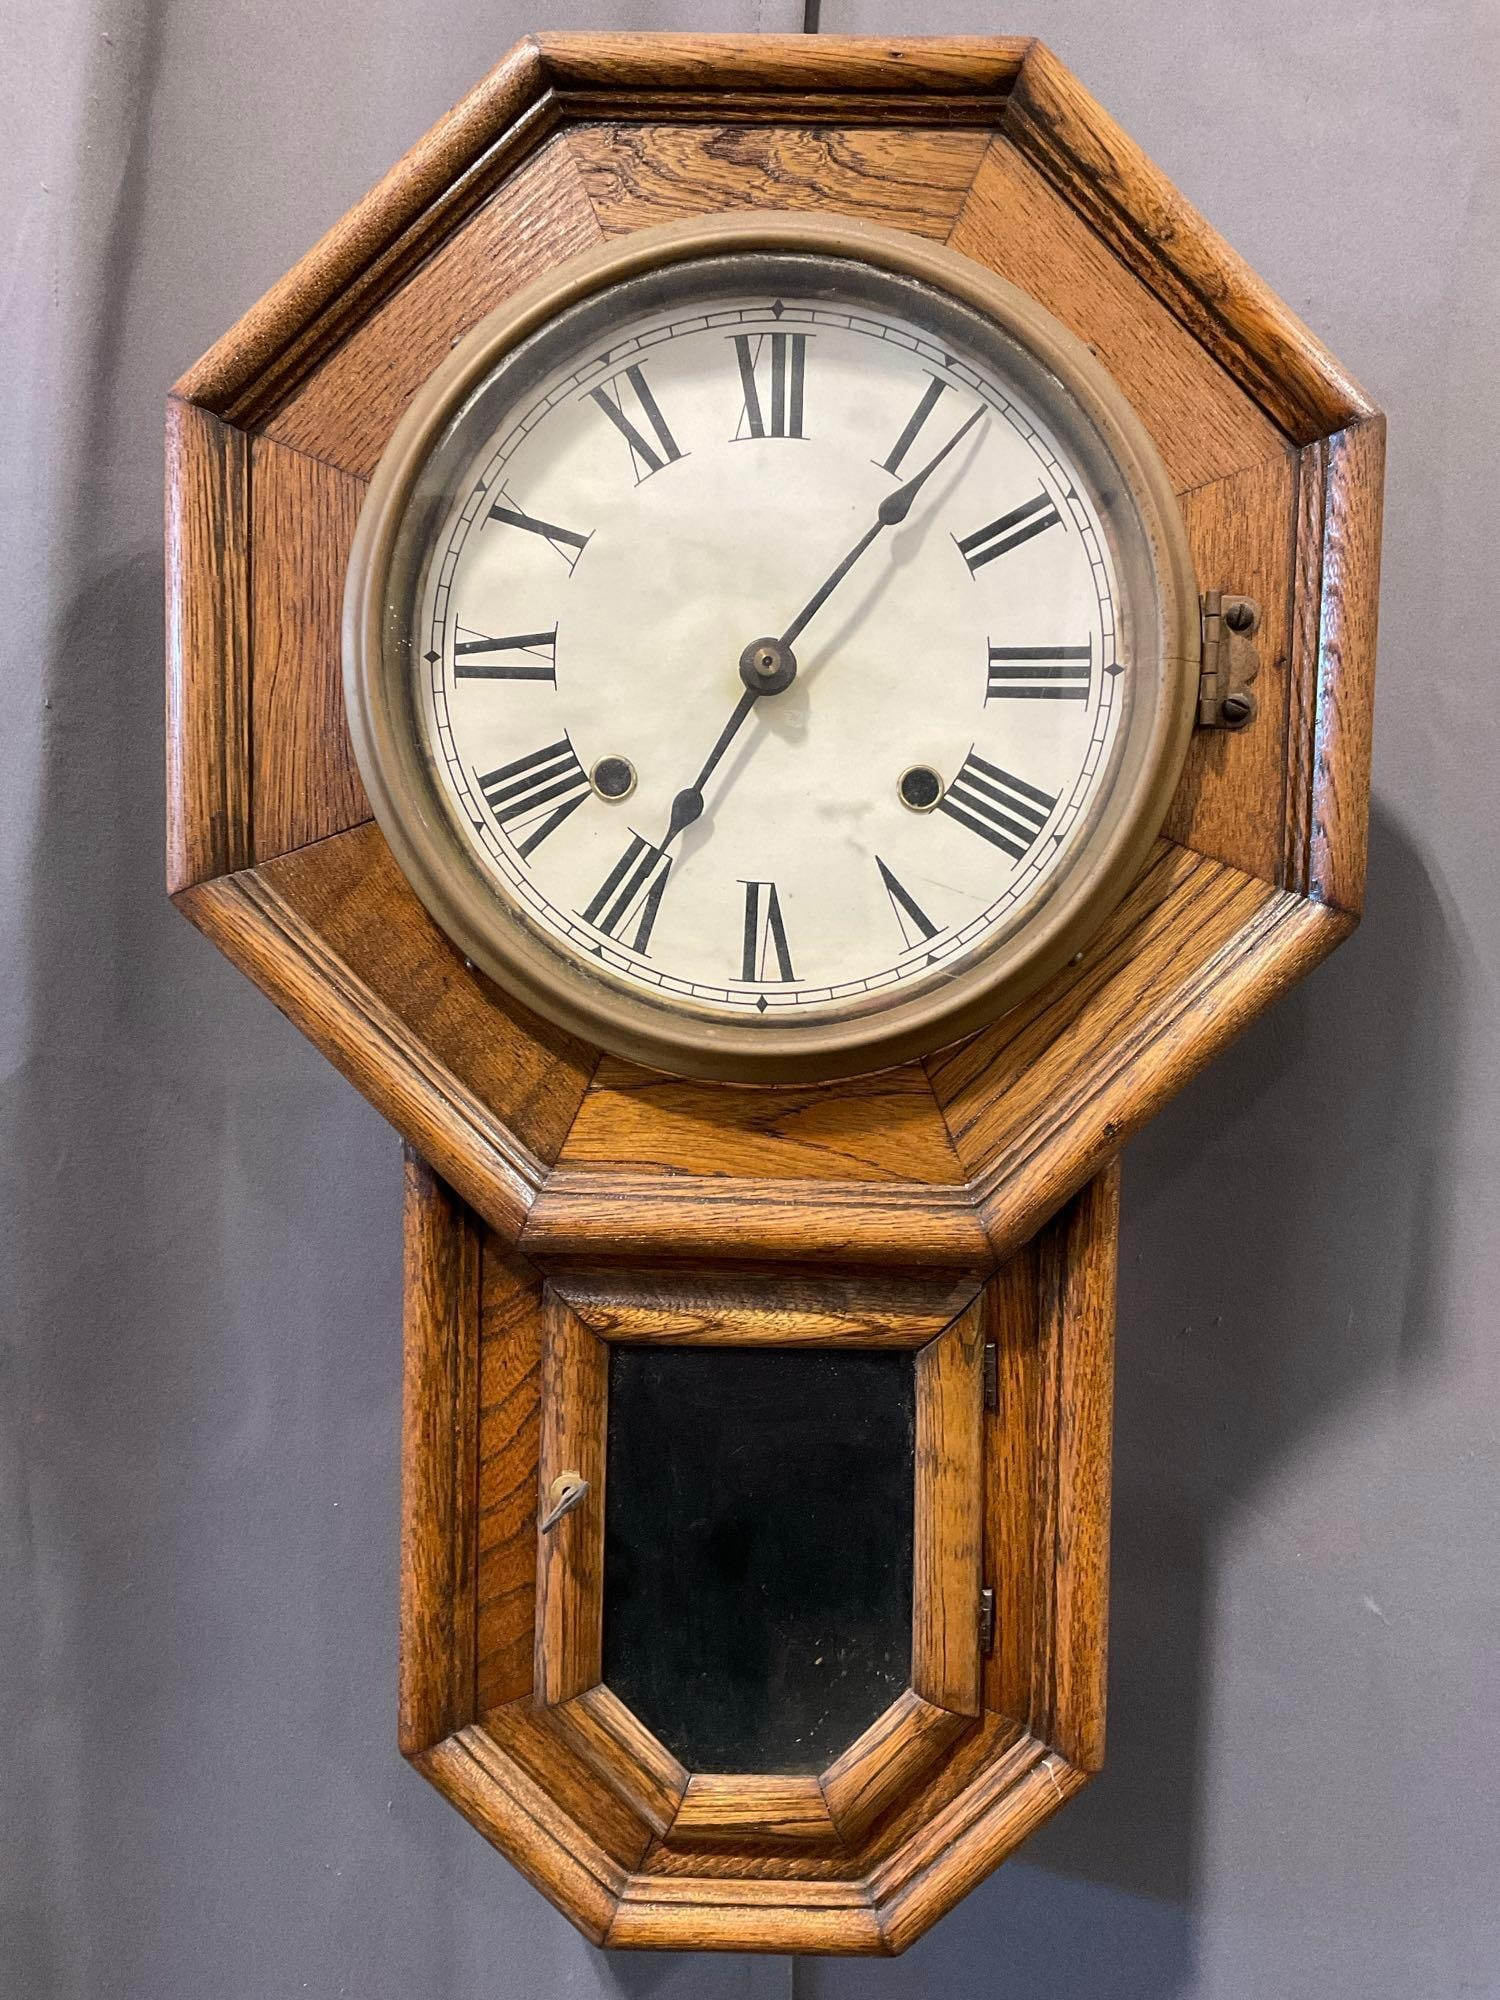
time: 7:06
